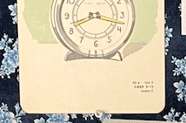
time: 8:17
